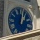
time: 1:02
